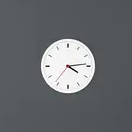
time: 4:13
